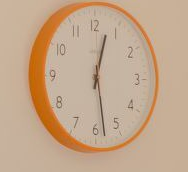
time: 12:28
